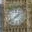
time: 1:38
